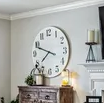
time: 7:48
